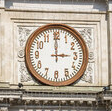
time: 2:59
